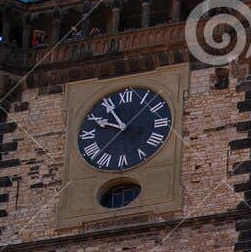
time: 9:54
